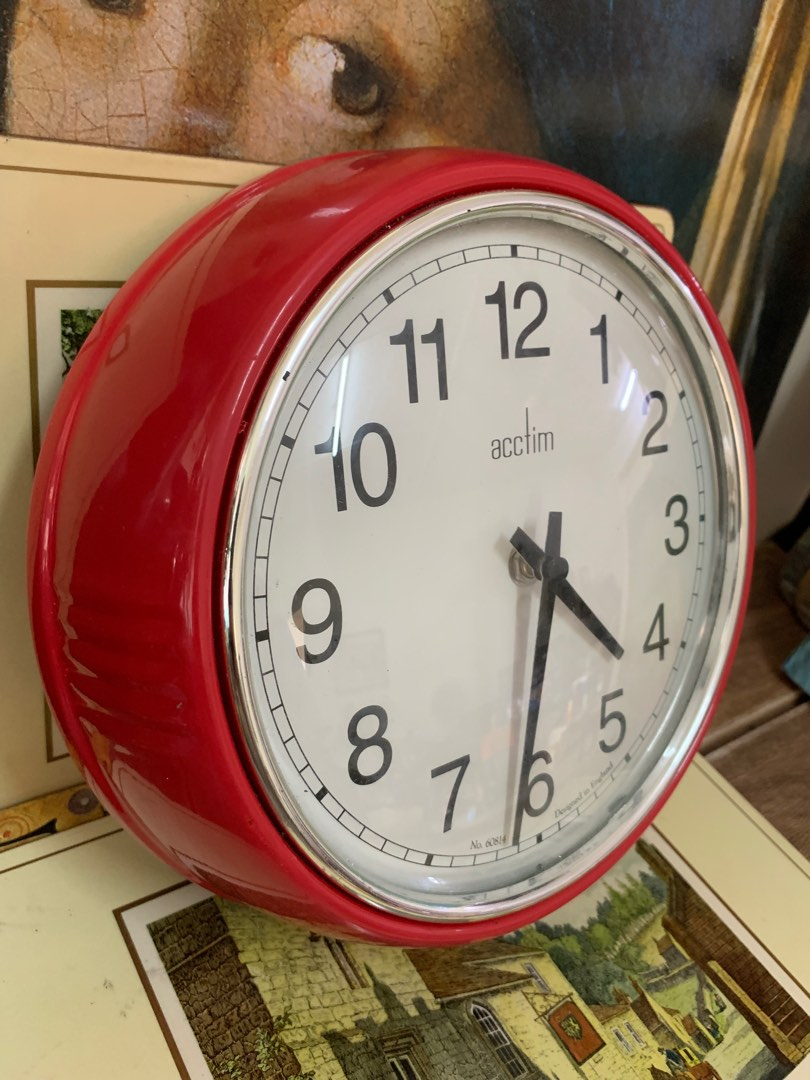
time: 4:31
